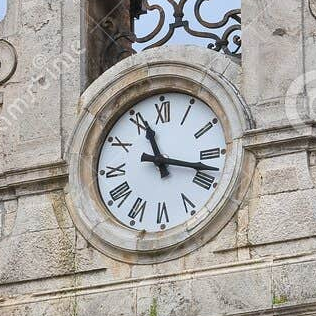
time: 11:17
